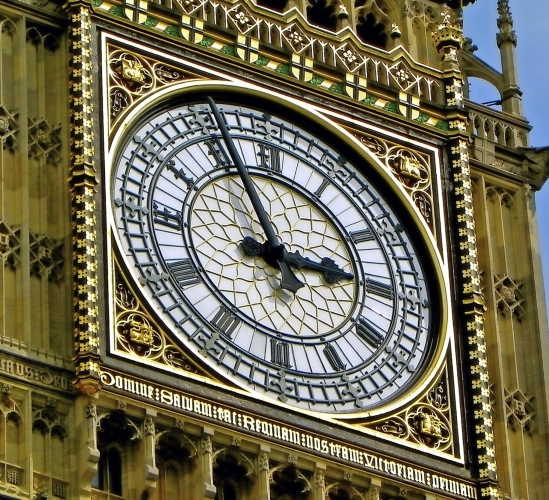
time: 2:56
